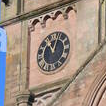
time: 11:02
